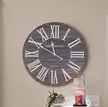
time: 11:49
